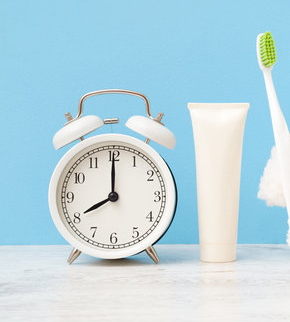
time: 8:00
